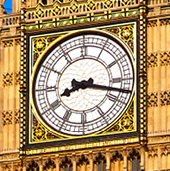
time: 8:17
